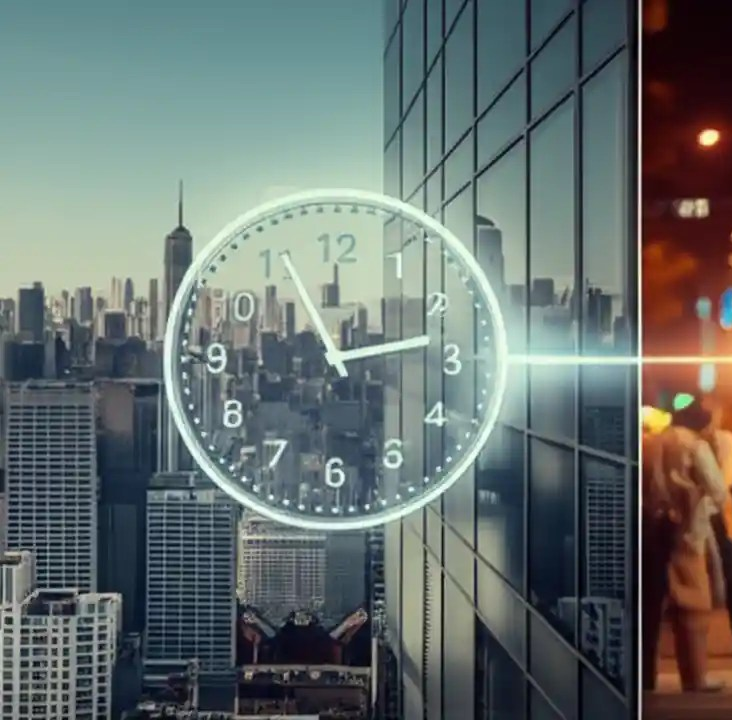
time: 11:13
